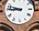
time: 9:45
